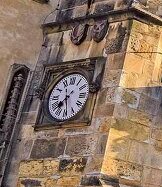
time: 7:28
